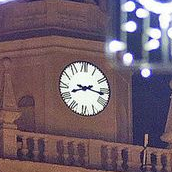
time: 8:16
